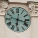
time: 6:17
